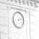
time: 7:12
